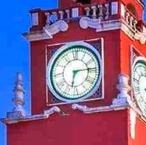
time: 6:14
